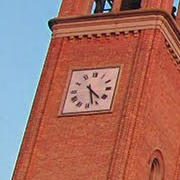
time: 4:27
